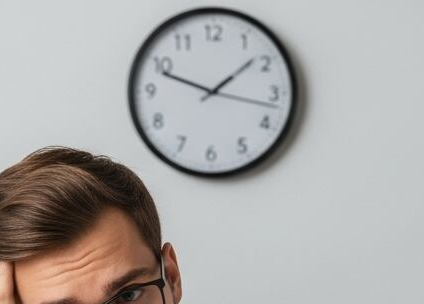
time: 1:48
